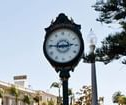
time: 2:46
